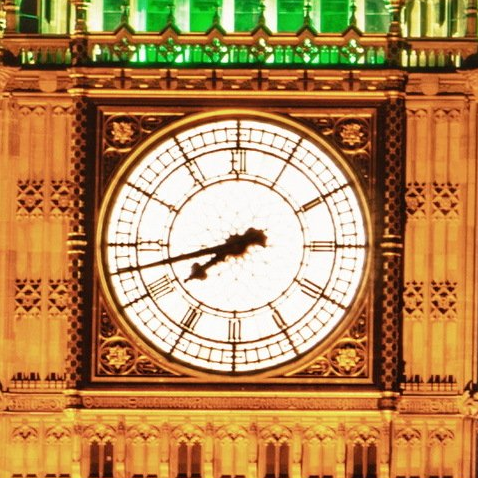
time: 7:42
